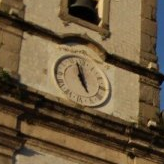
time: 4:57
